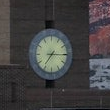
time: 7:15
